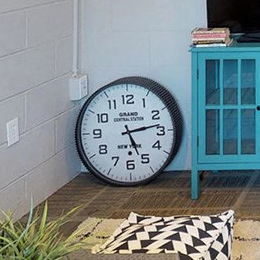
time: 5:13
